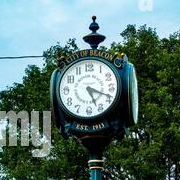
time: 5:18
